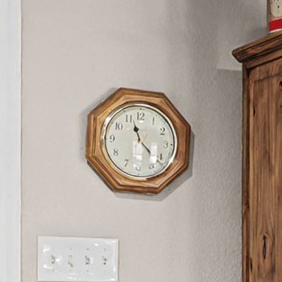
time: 11:21
